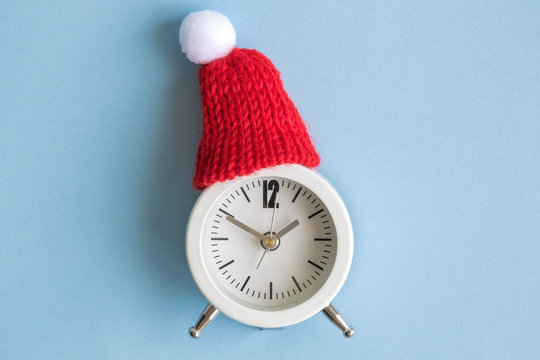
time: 1:50
